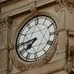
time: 7:44
